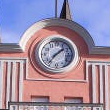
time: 1:36
